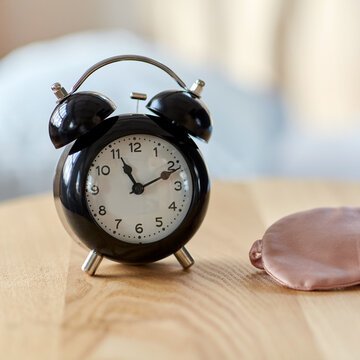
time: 11:11
